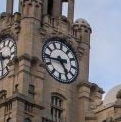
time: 4:43
